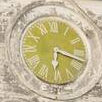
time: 6:18
